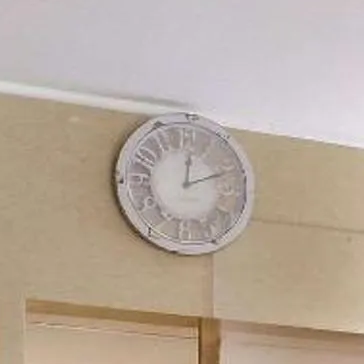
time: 12:11
